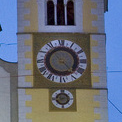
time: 4:23
